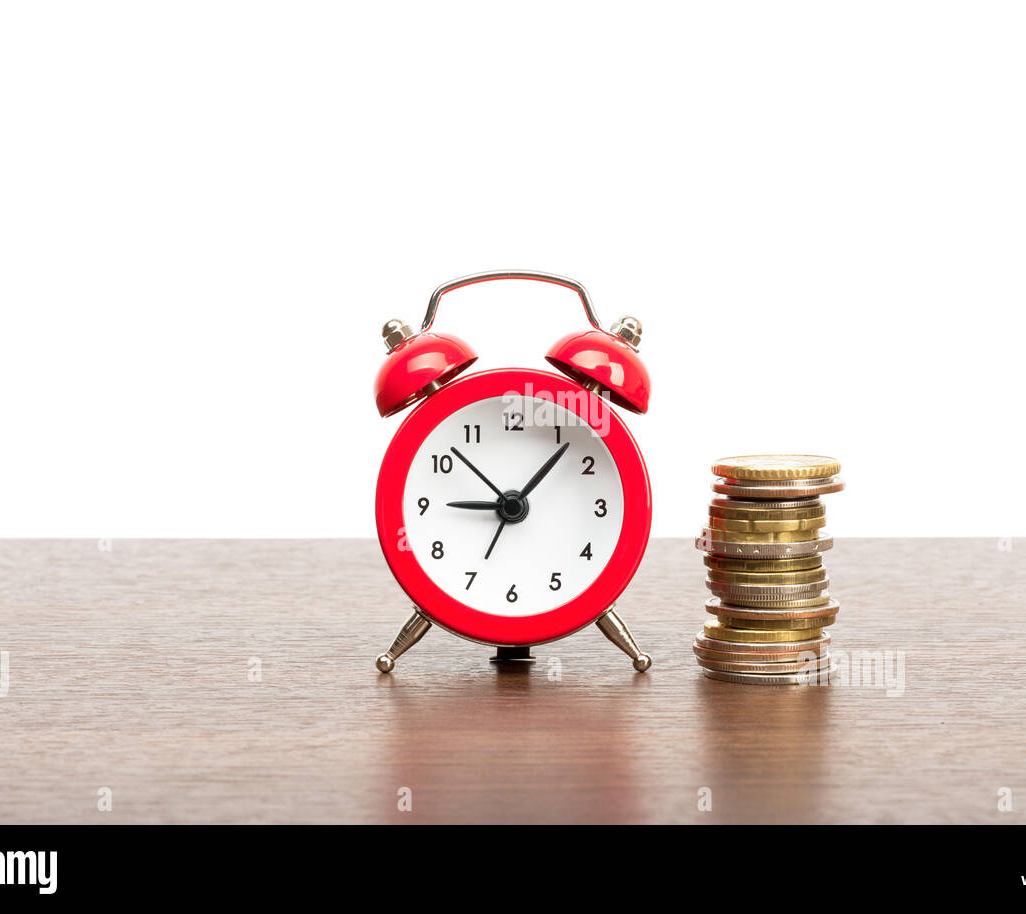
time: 9:07
